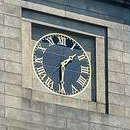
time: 1:30
